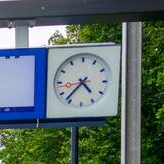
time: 4:36
